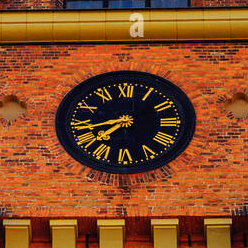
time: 7:42
